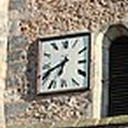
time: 6:40
